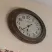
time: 6:38
